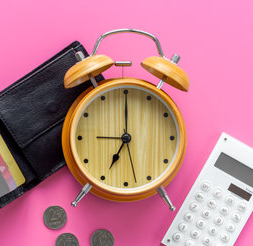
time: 7:00
